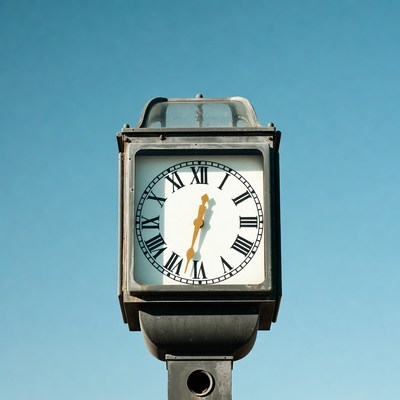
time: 12:32
